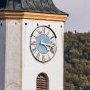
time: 4:16
